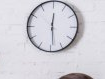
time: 12:29
